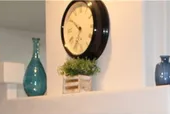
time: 6:50
